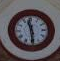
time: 11:29
